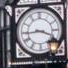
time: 3:44
